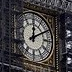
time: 12:09
